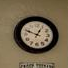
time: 12:48
